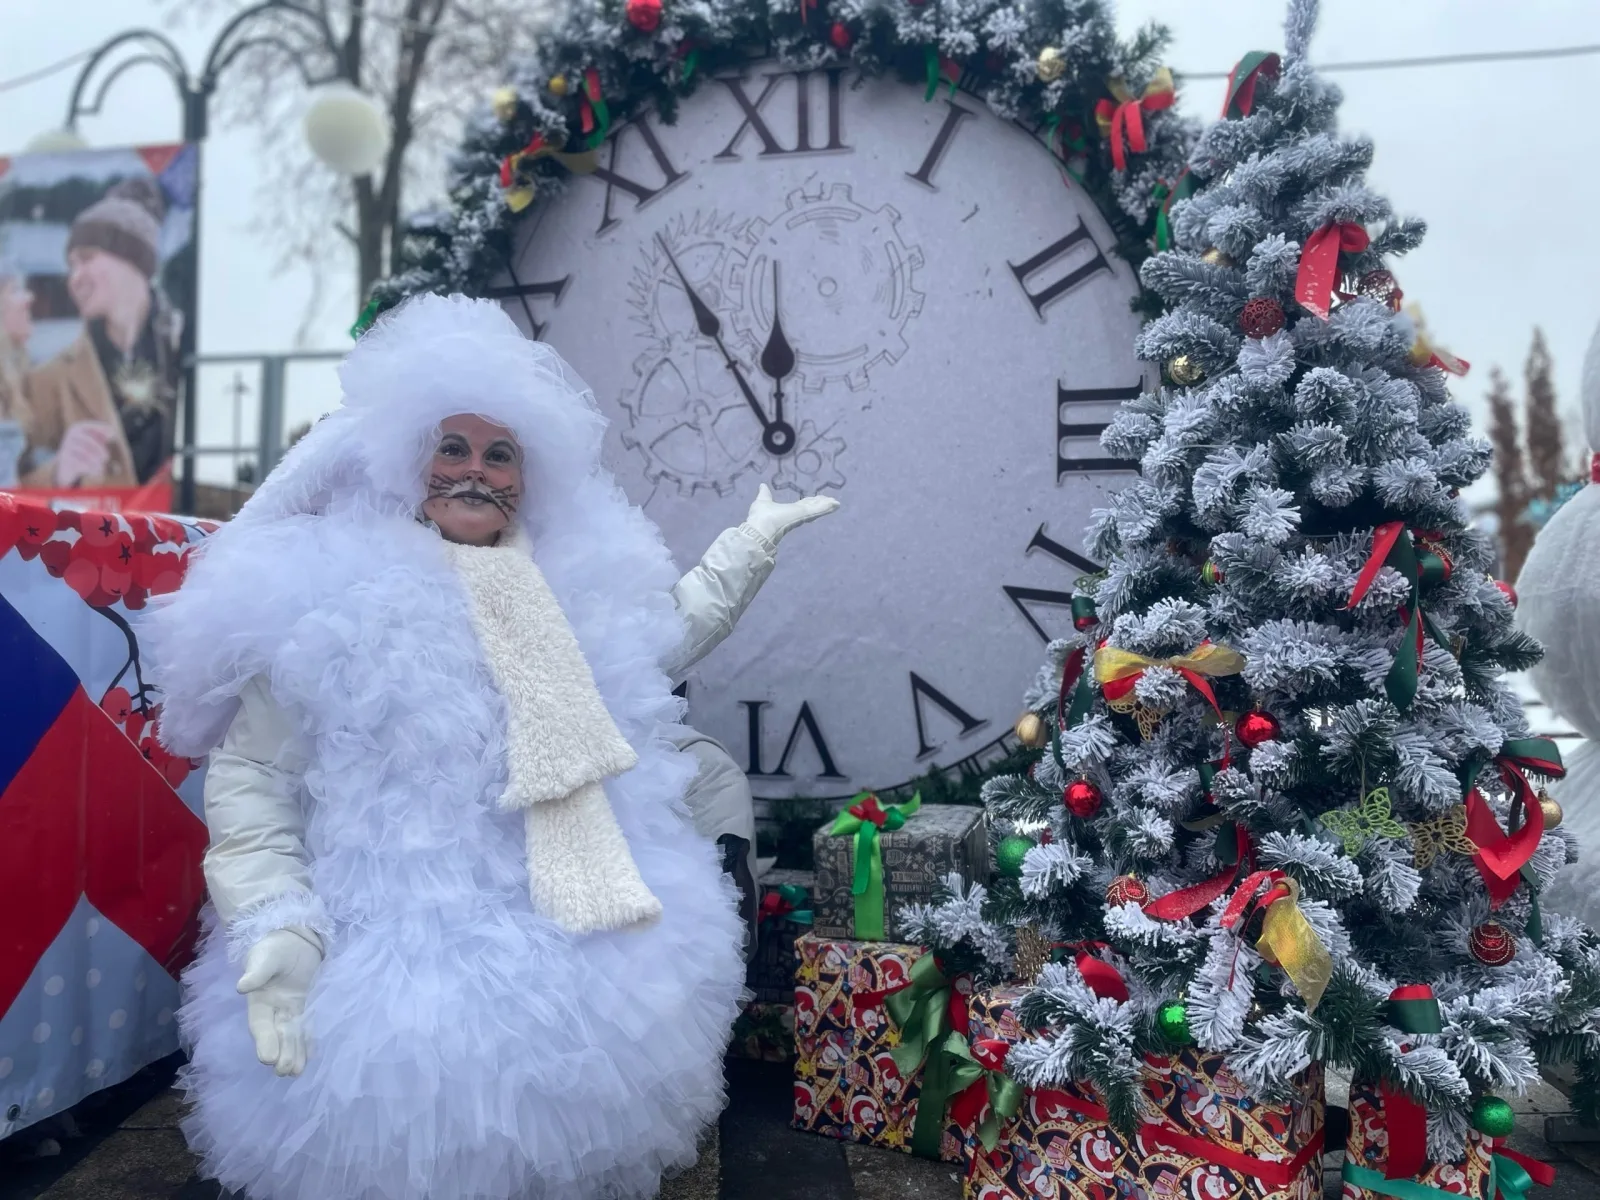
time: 11:54
